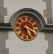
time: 5:18
